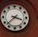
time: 3:37
